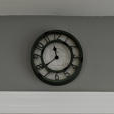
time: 11:38
